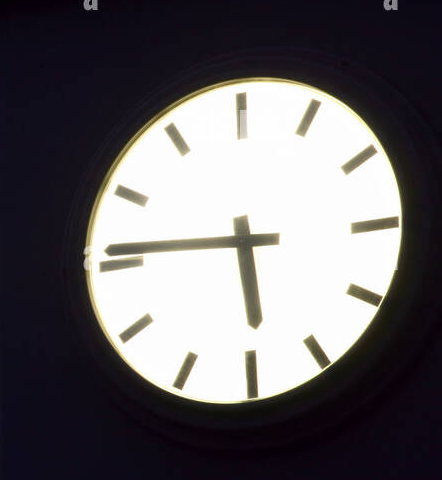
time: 5:45
